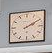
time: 2:09
